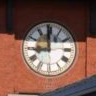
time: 8:59
